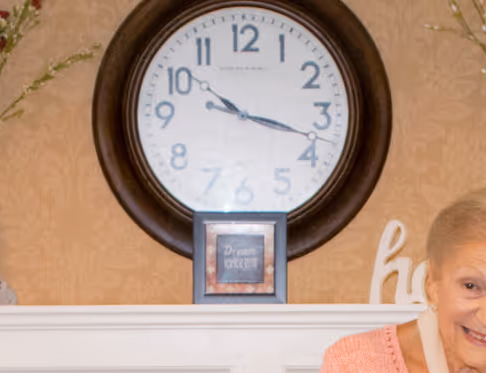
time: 10:17
